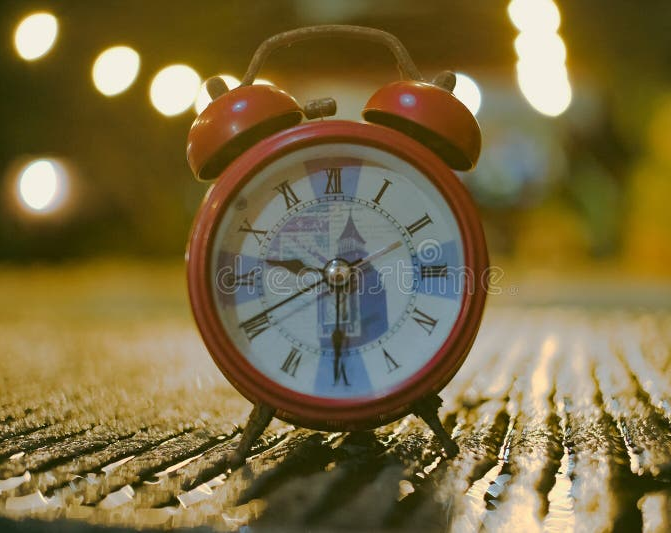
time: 9:30
